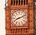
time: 8:11
